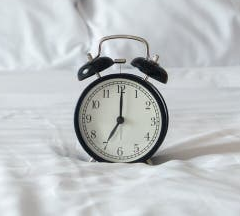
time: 7:00
